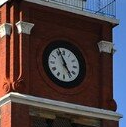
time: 4:56
